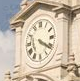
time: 4:20
